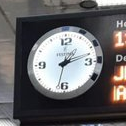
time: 1:12
